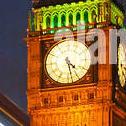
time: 4:28
